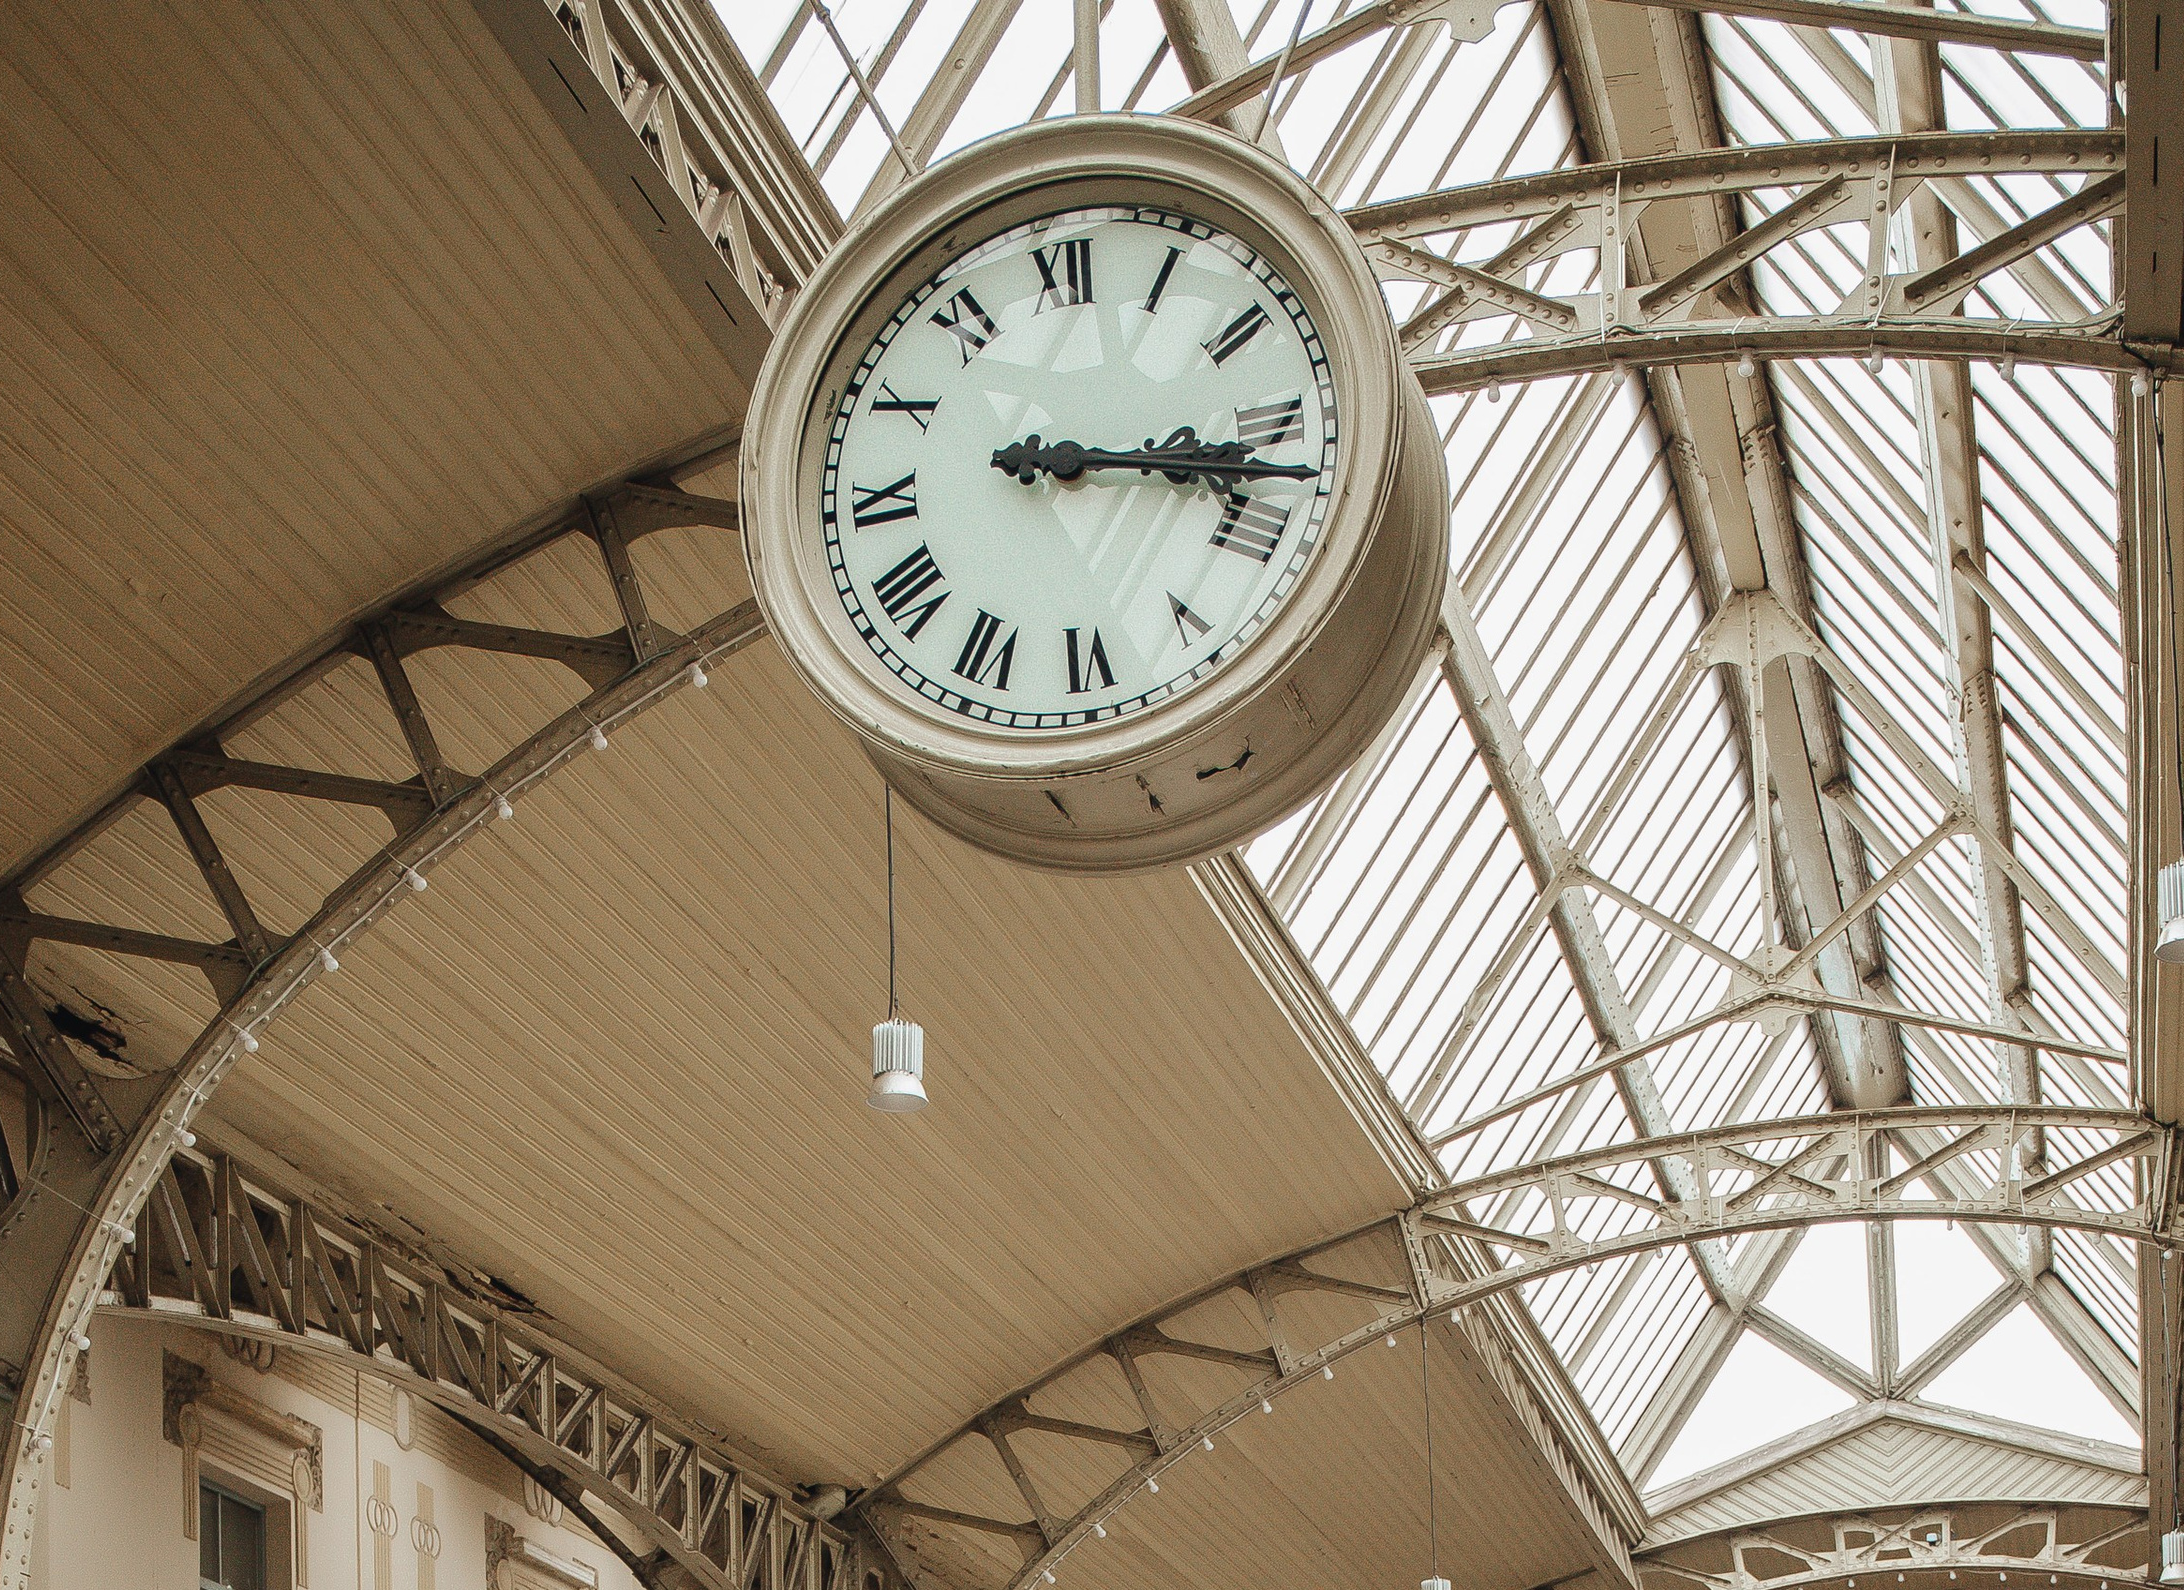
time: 3:17
